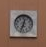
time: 12:33
